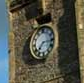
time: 7:15
